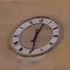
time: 12:29
